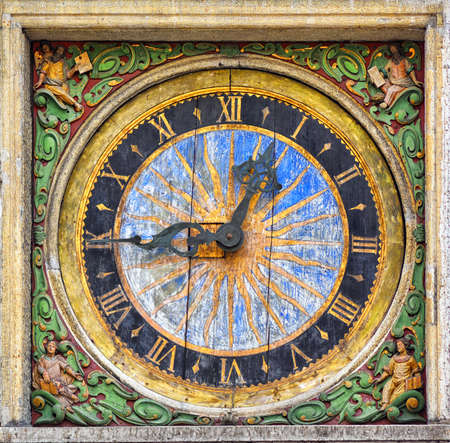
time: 12:43
